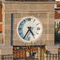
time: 4:35
